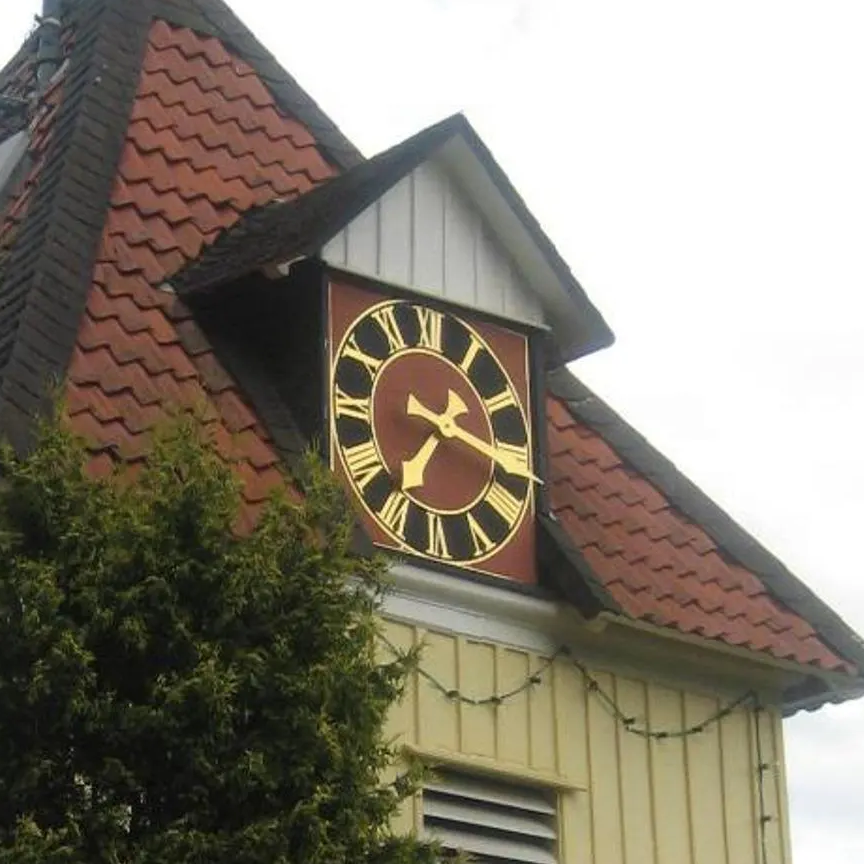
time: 7:17
